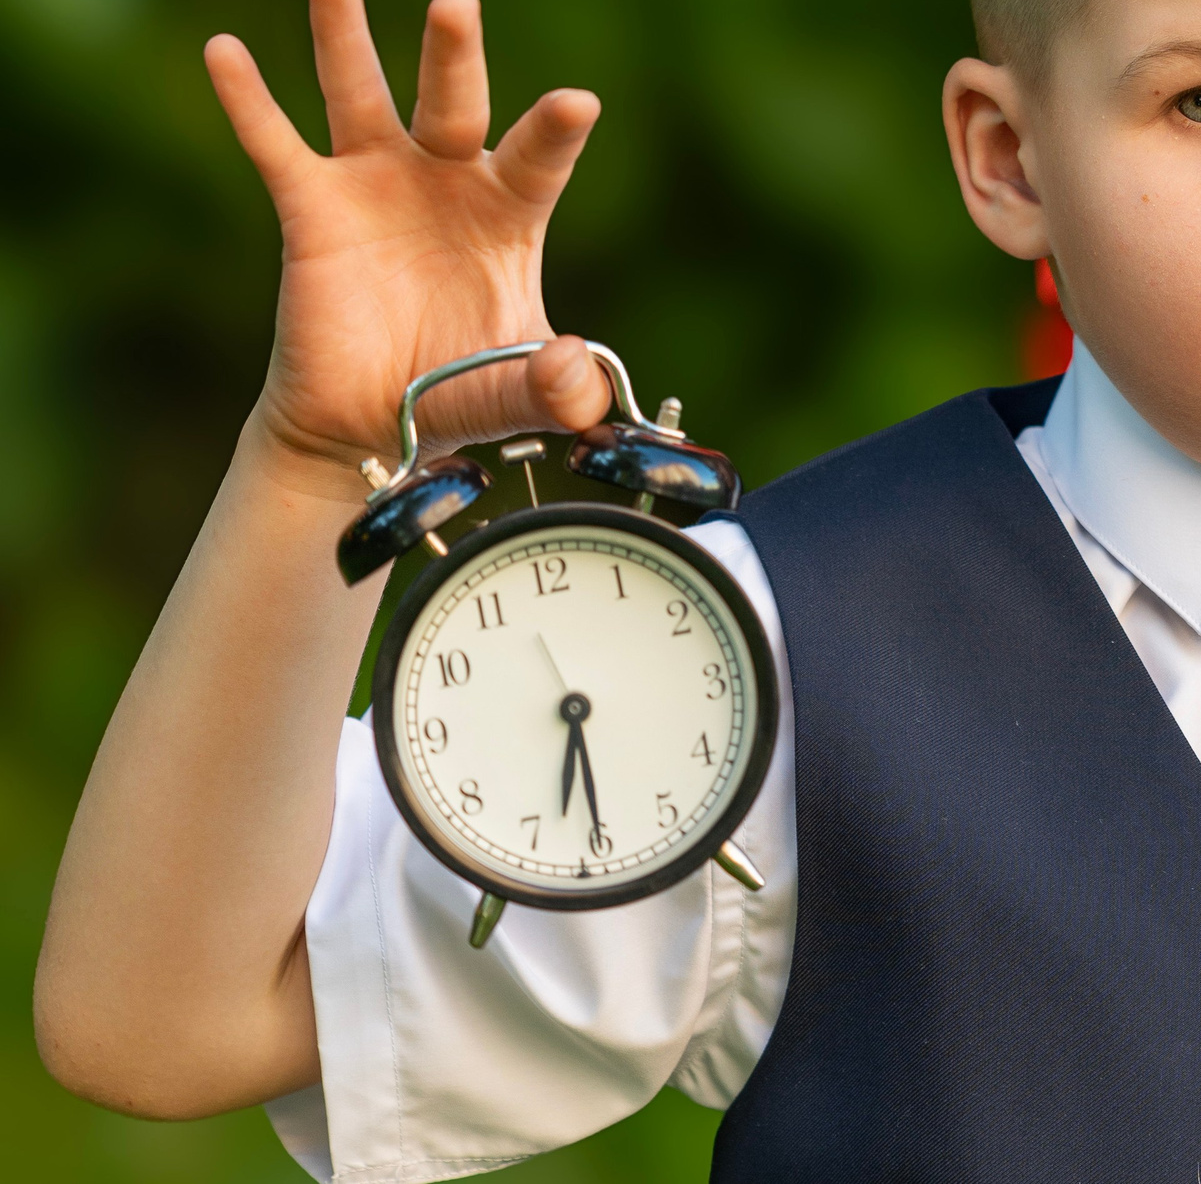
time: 6:29
